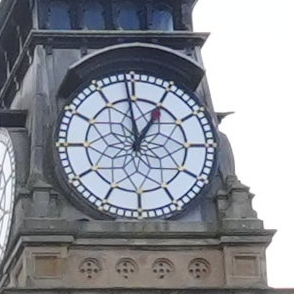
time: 12:59
